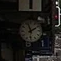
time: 1:57
